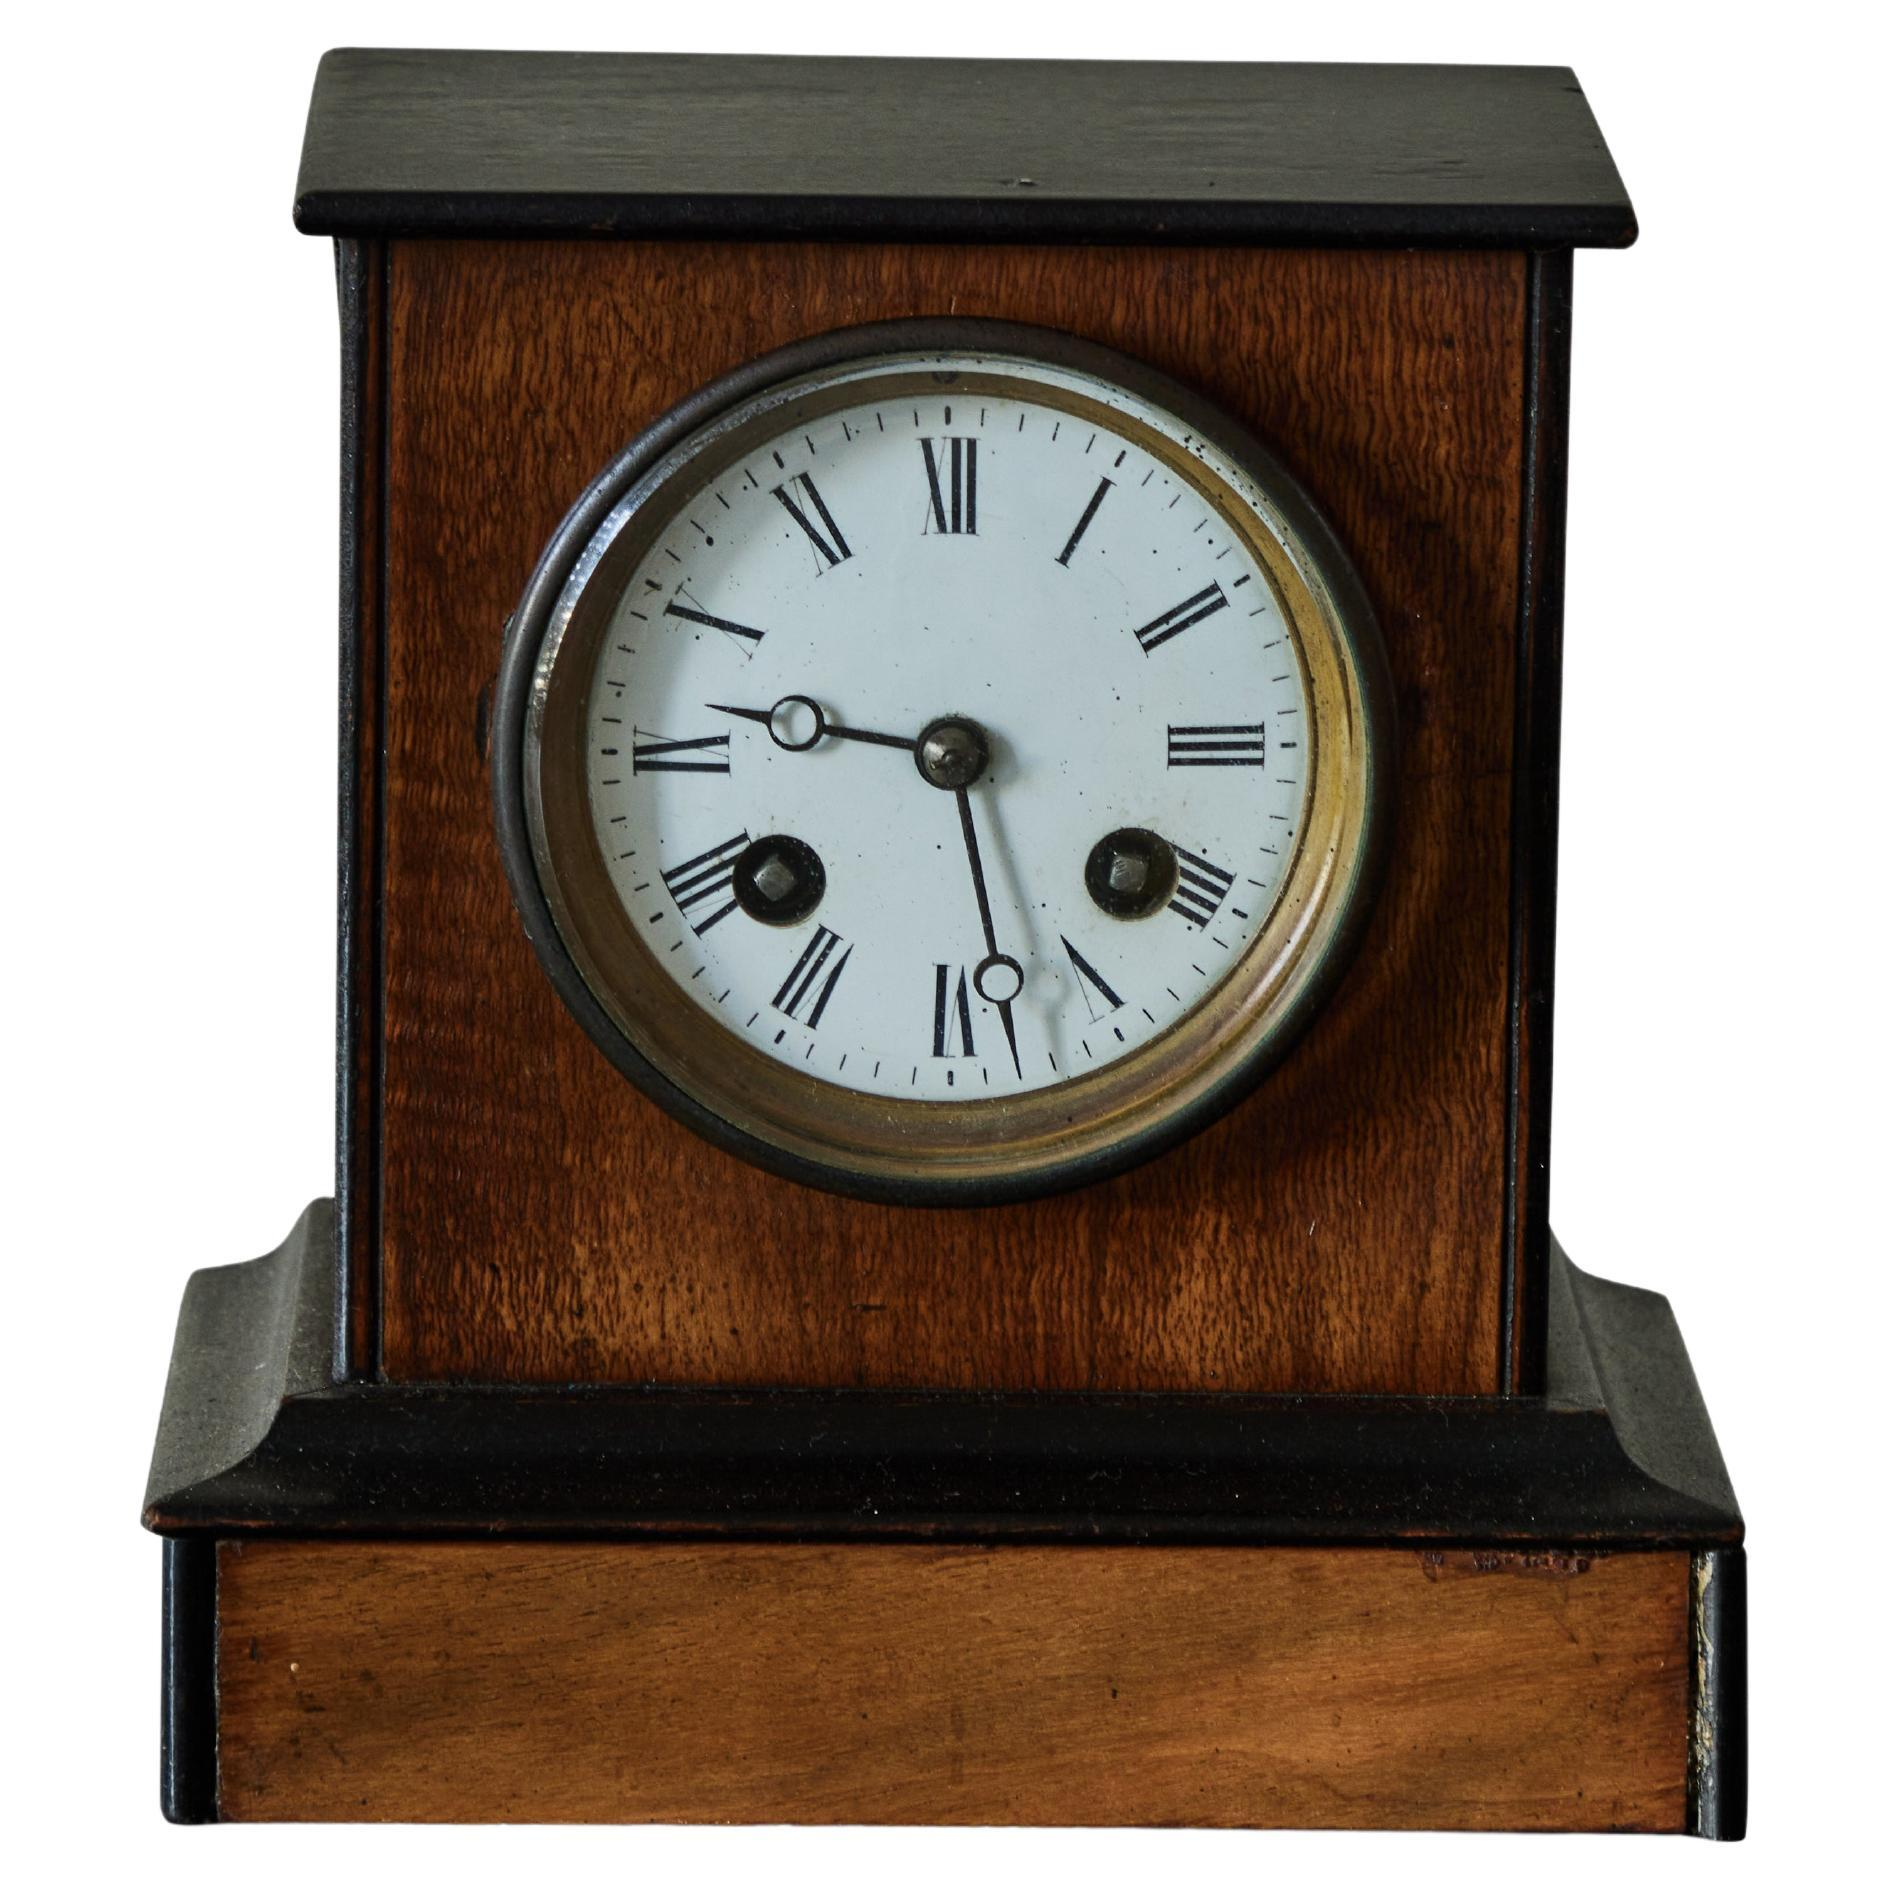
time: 9:27
